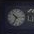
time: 10:34
